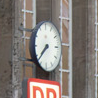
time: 7:37
